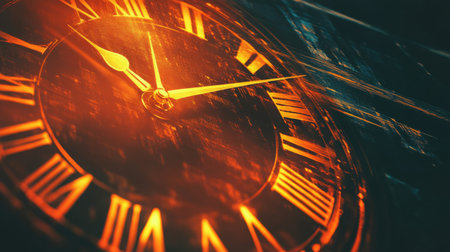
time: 10:12
